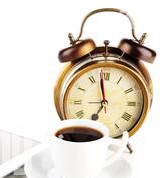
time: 6:58
